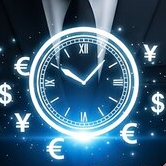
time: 10:07
